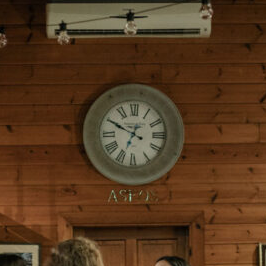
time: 6:49
